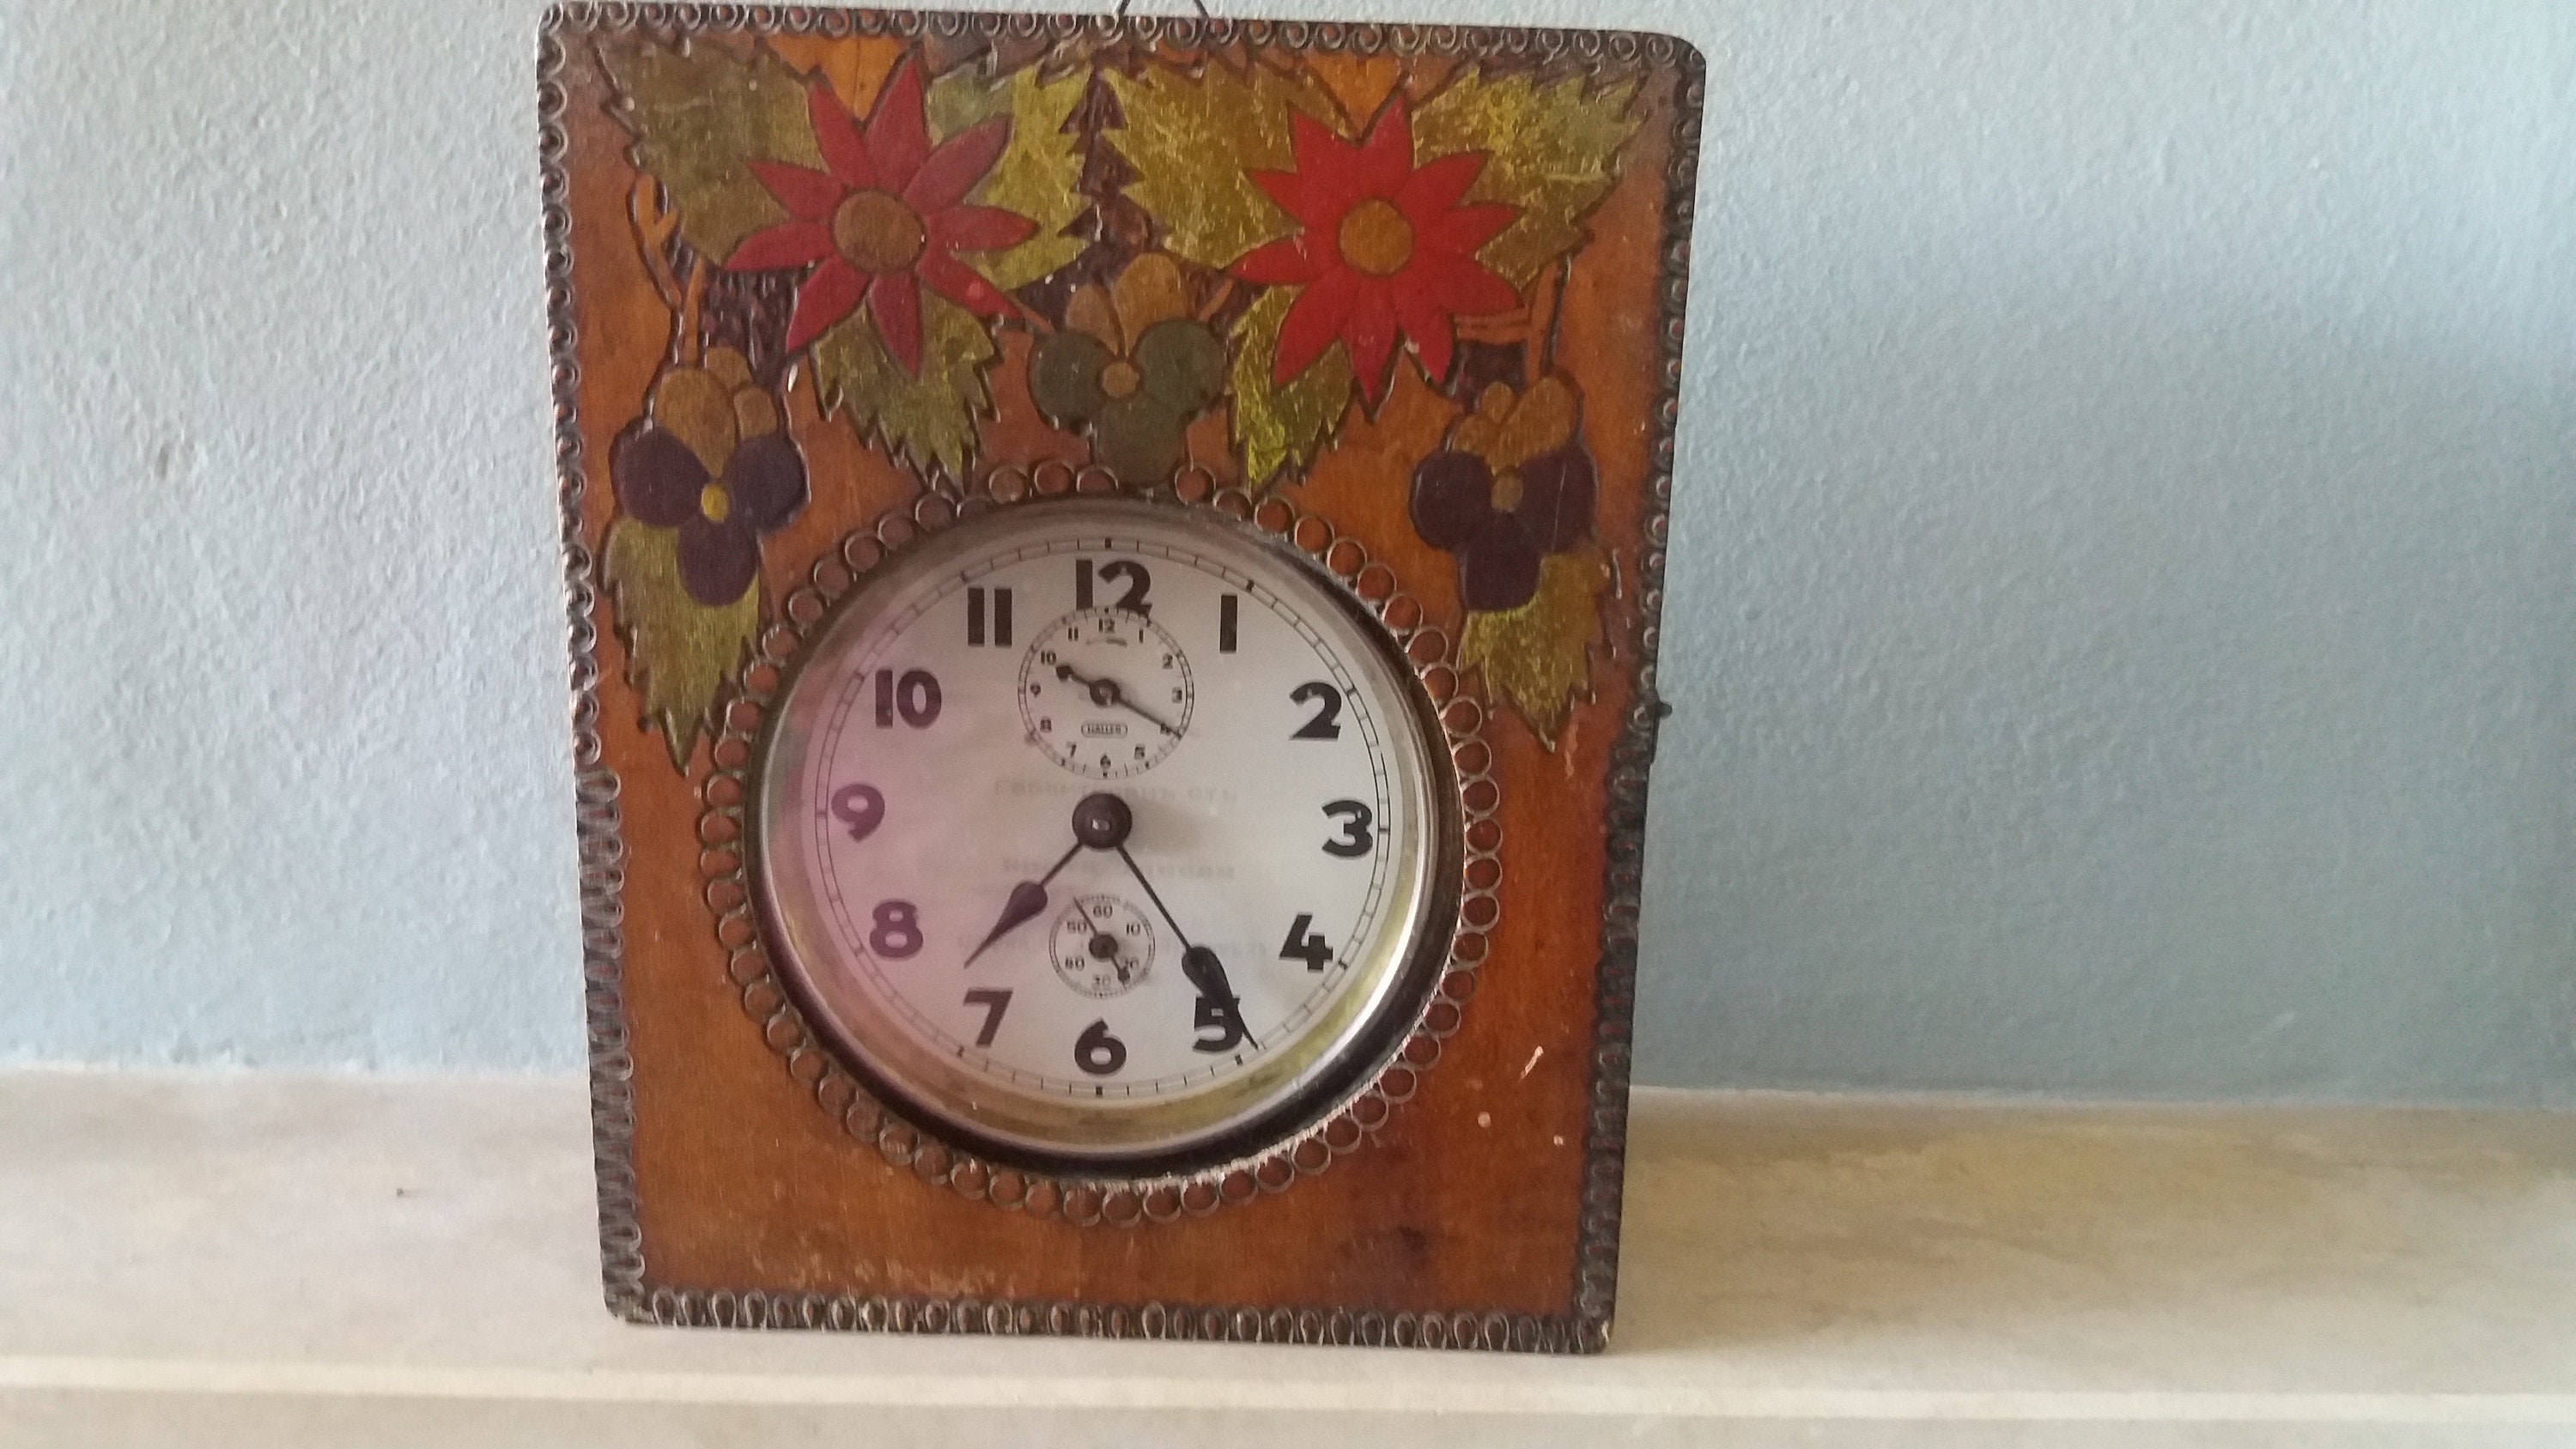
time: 7:24
